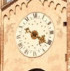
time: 4:20
